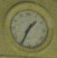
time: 1:34
